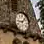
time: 9:07
